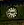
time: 2:46
